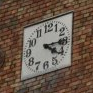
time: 4:14
